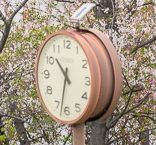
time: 10:32
